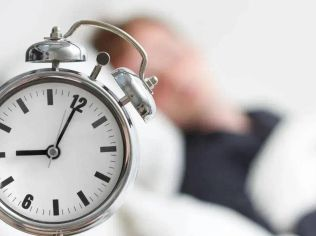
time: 9:05
